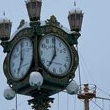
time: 7:00
